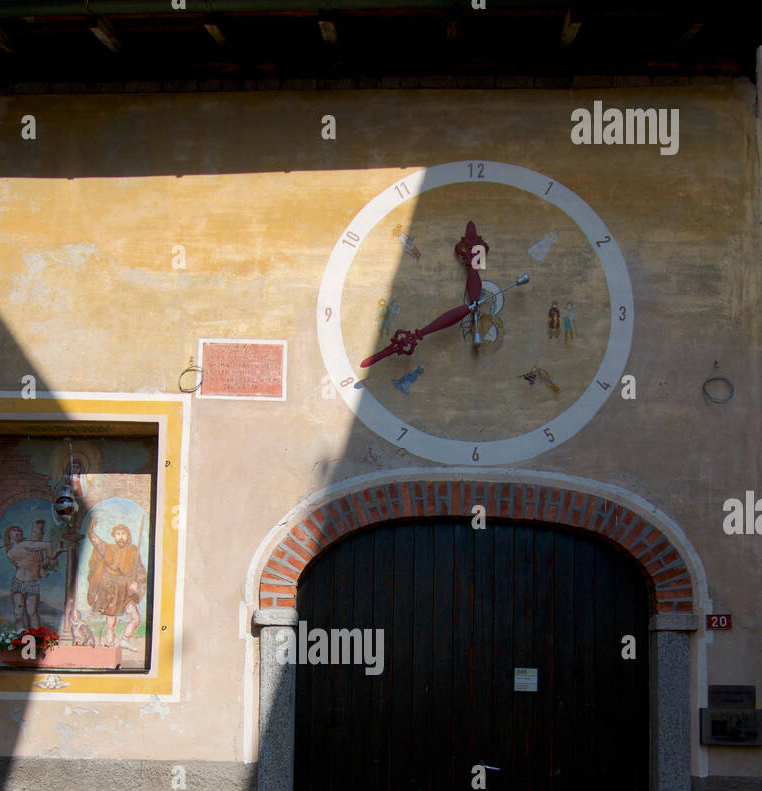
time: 11:40
